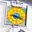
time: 9:18
